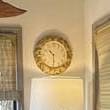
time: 10:30
